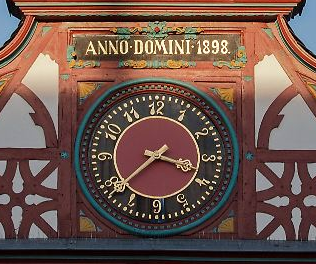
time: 3:38
